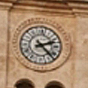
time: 2:22
